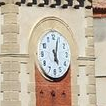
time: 5:03
